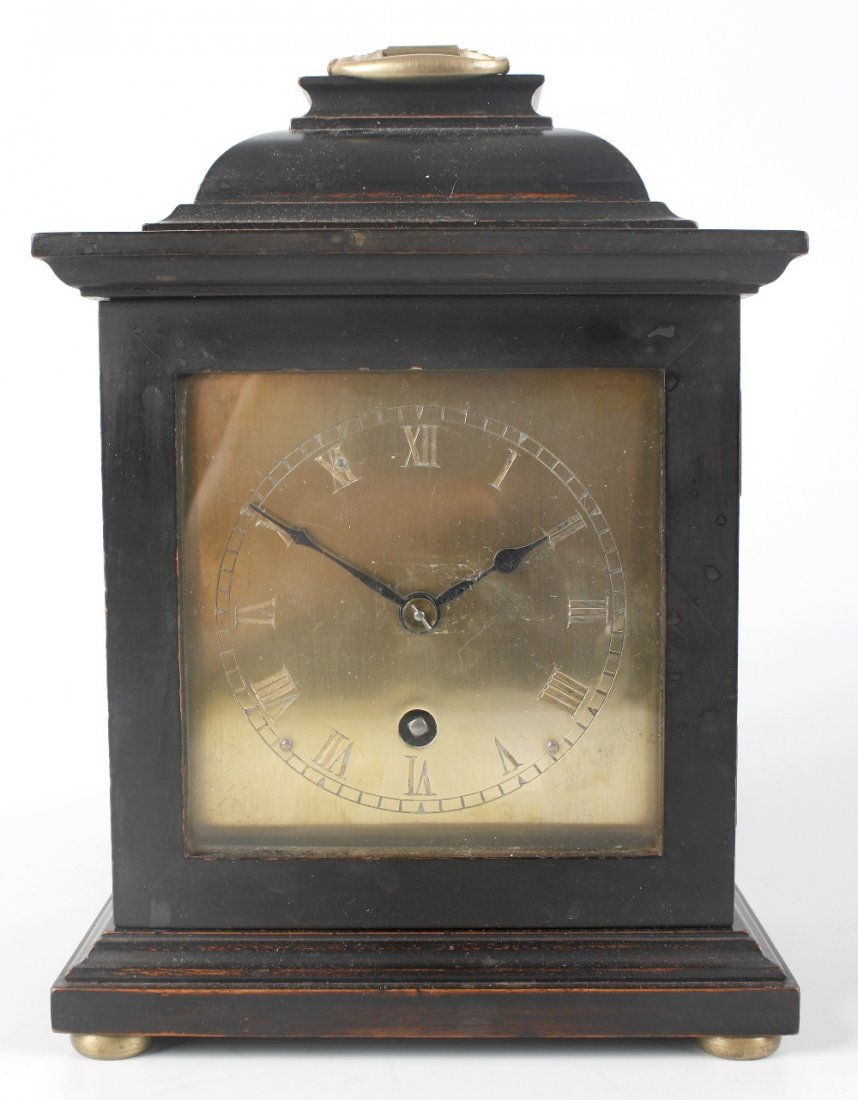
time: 1:50
